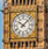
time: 10:07
